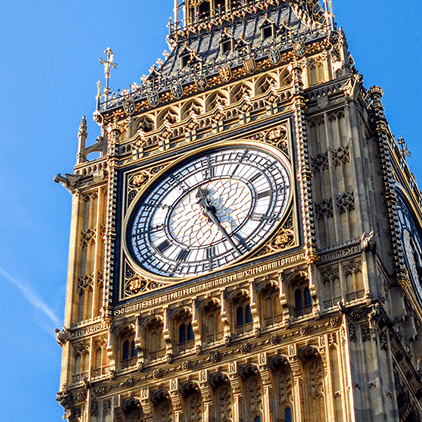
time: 11:25
